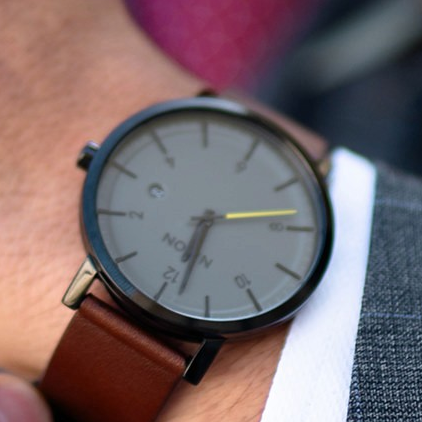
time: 6:32
